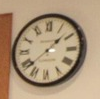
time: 1:38
